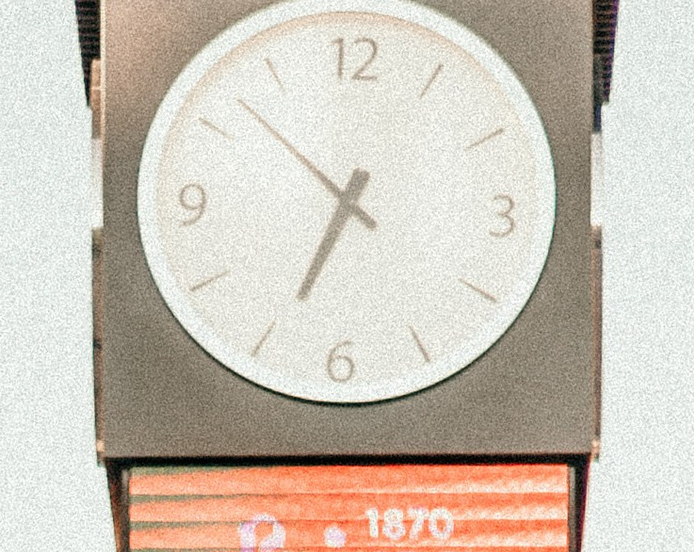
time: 6:52
